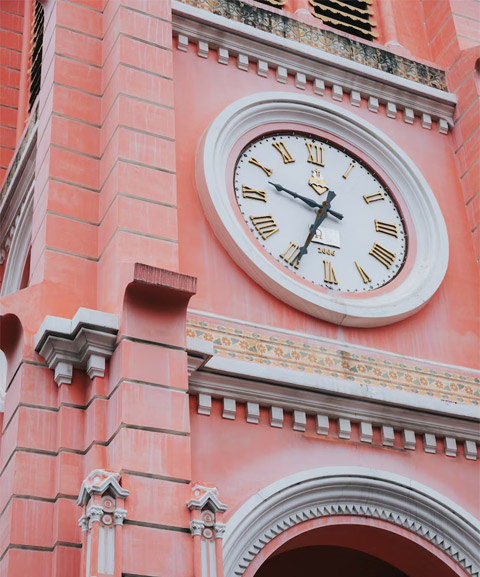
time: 9:34
